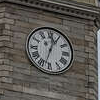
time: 12:32
